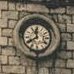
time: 11:40
